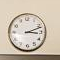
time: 3:11
